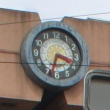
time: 3:33
